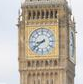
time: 8:38
